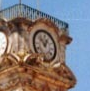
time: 12:52
